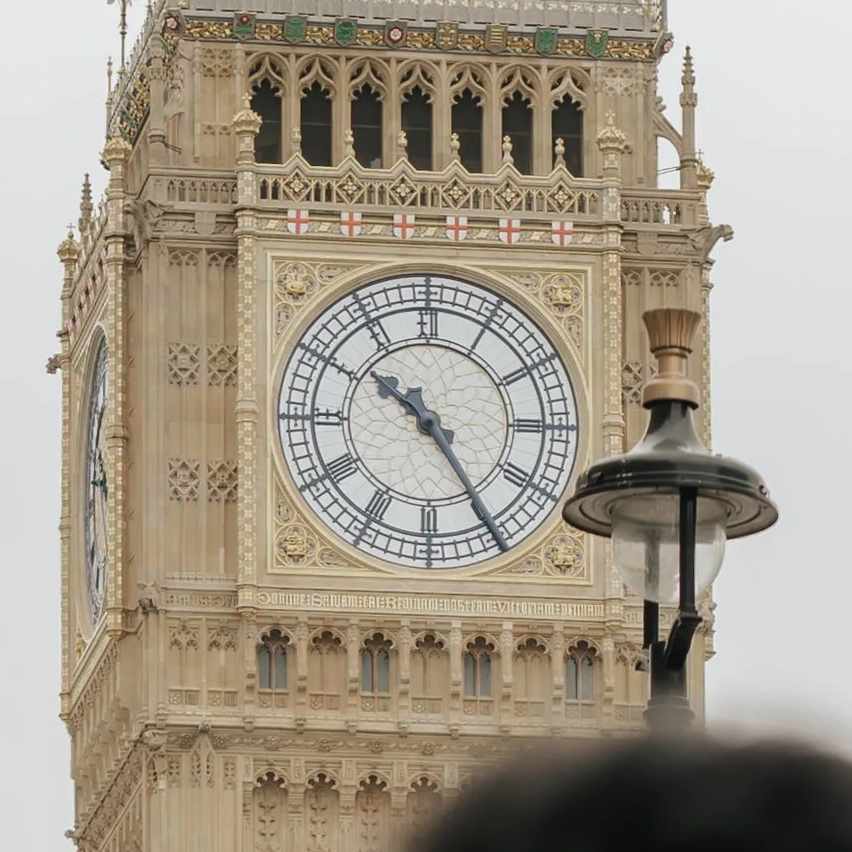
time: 10:24
